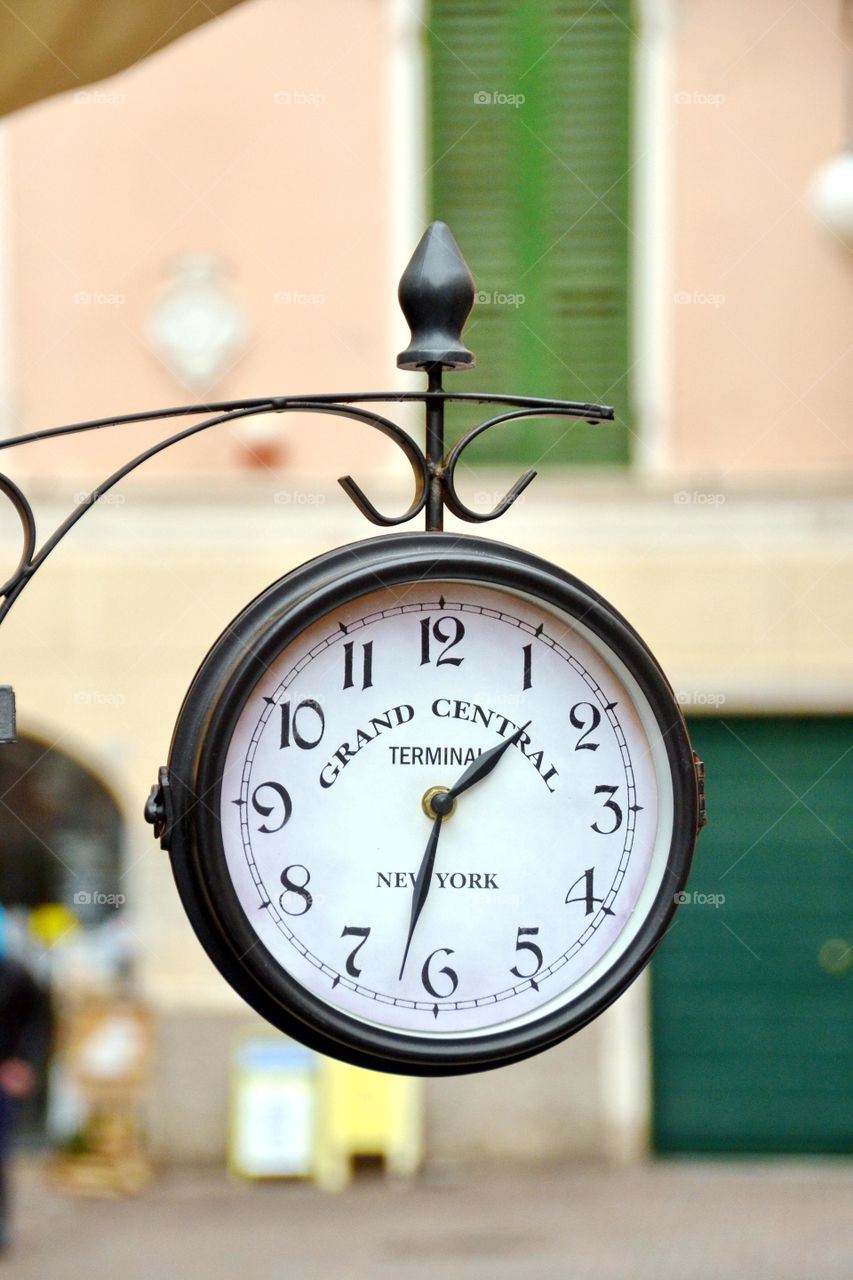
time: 1:32
